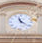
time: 11:21
